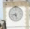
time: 8:27
